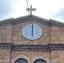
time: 6:00
